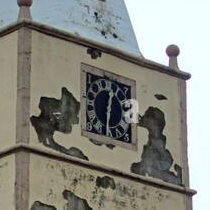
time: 12:30
